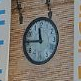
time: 11:45
